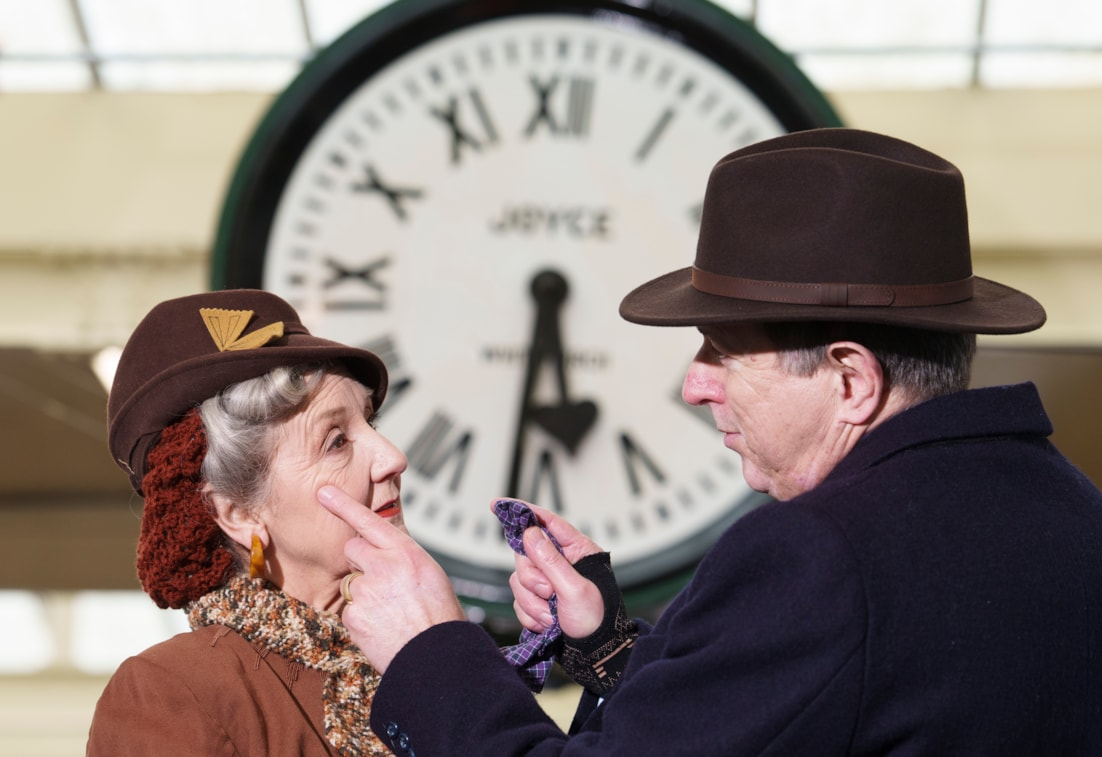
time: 5:31
